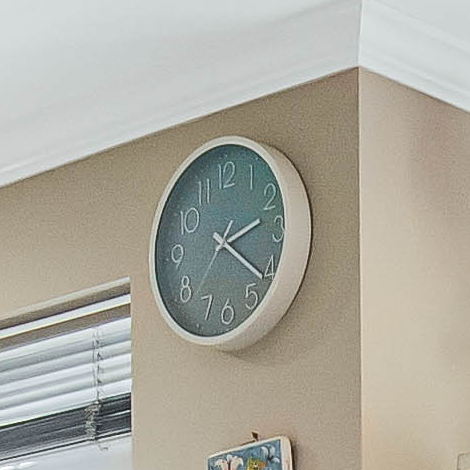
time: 2:21
